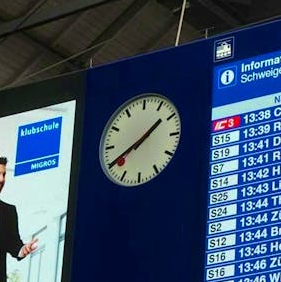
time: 1:40
